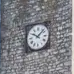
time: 10:07
